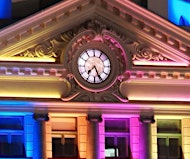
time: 7:25
